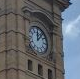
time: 12:06
